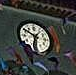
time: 6:50
